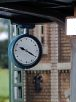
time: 9:20
